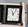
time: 11:05
